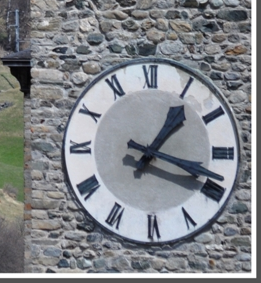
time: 1:18
